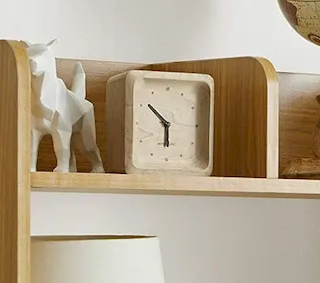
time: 5:51
